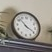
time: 3:52
